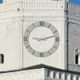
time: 9:12
